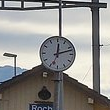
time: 12:12
